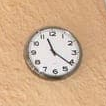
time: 11:21
